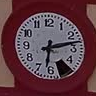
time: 6:12
